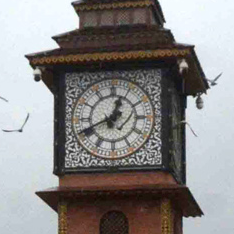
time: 12:41
